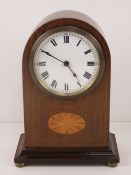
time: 4:49
